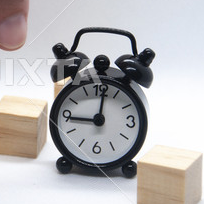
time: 9:01
